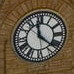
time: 11:21
